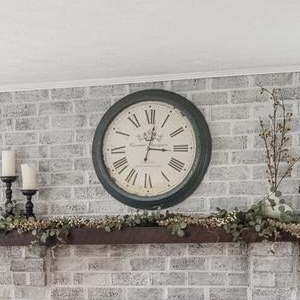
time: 3:01
